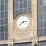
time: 2:38
